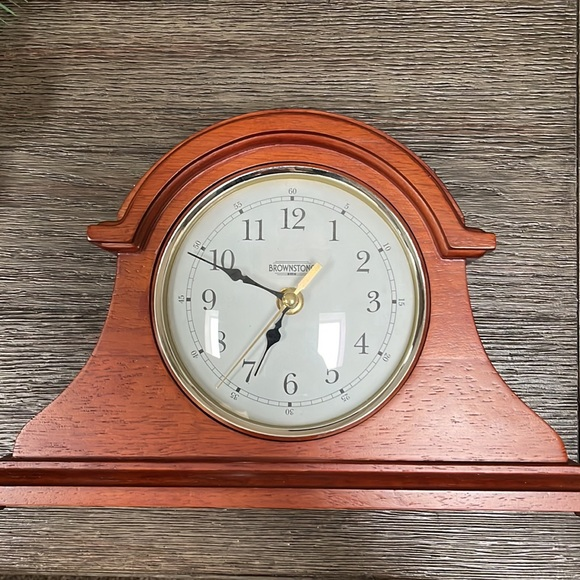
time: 6:48
